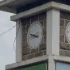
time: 8:47
